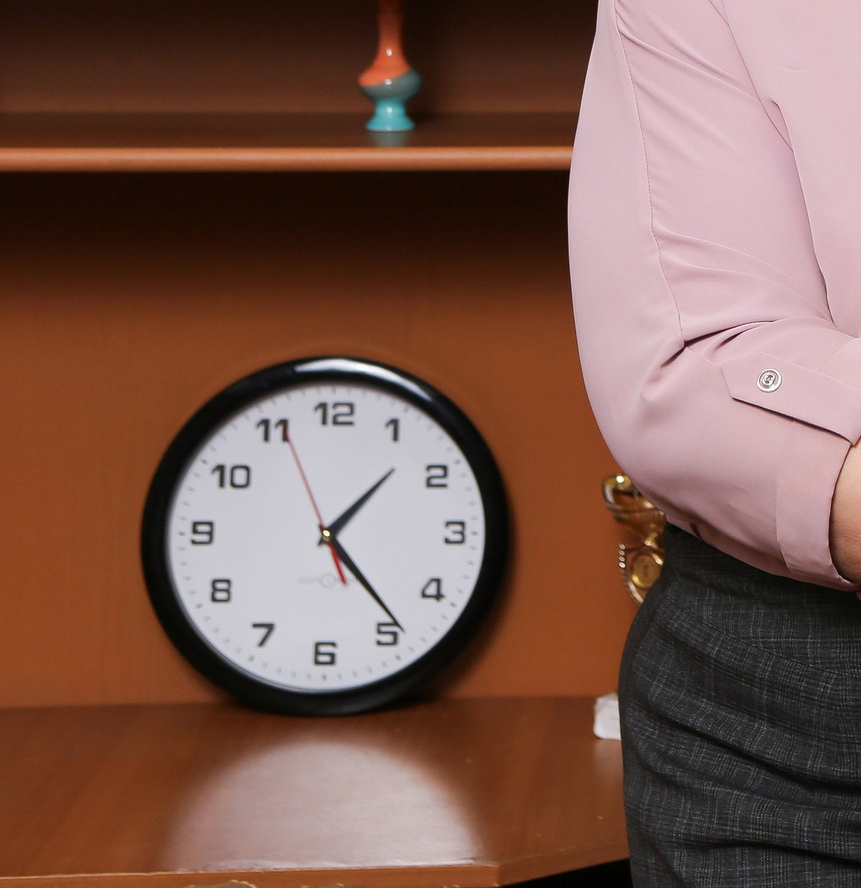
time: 1:23
